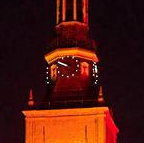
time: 9:50
